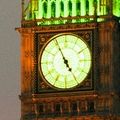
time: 4:55
